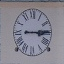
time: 3:14
